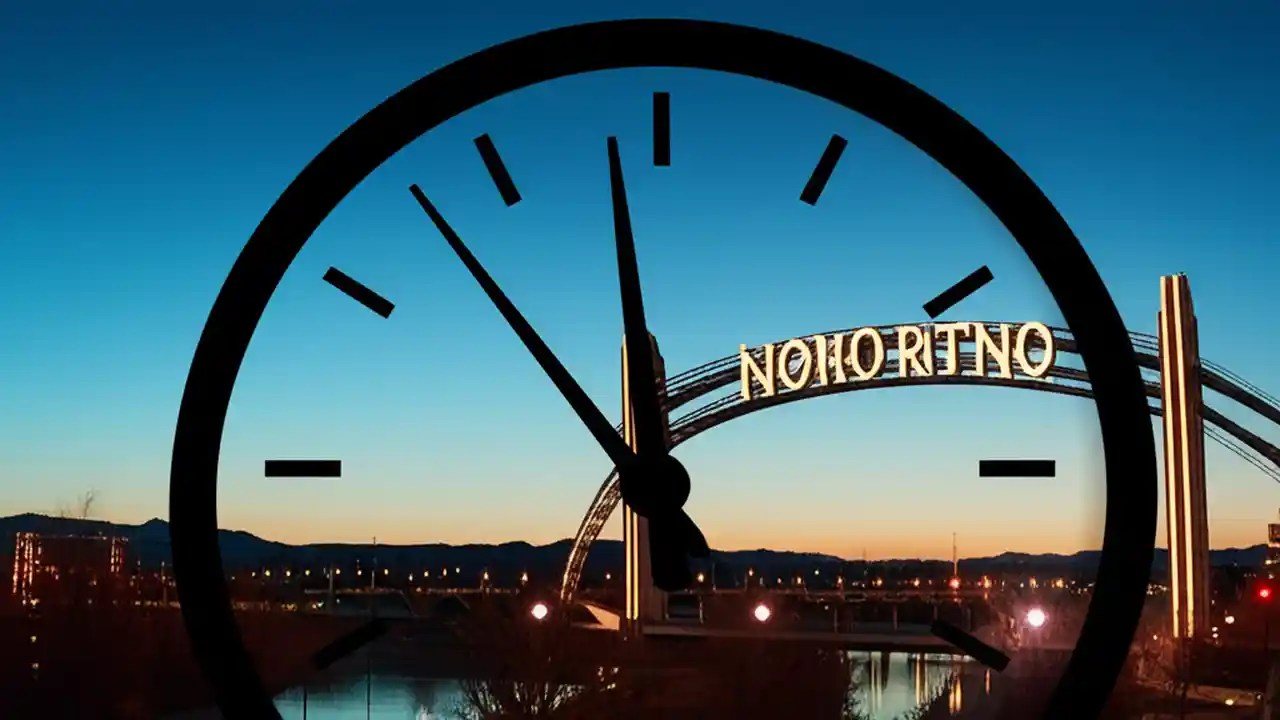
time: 1:58
